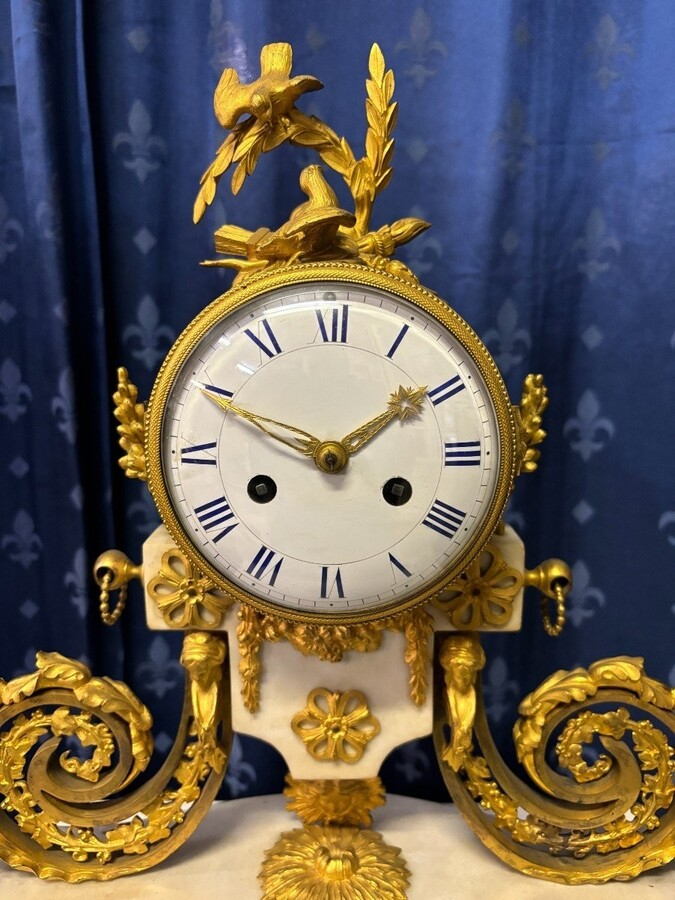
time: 1:49
